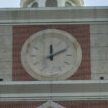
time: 12:10
